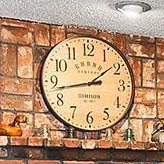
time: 1:43
